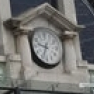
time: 9:33
